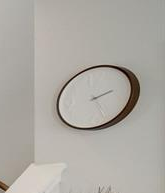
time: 2:25
